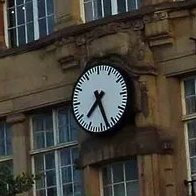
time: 7:27
